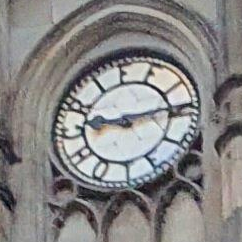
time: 9:14
